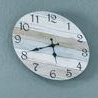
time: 5:40
